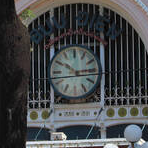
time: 10:14
